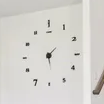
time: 1:28
